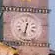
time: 12:32
